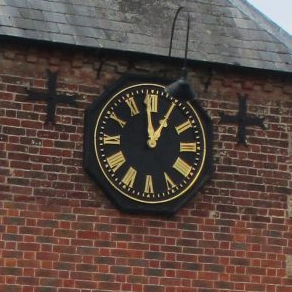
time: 12:59
